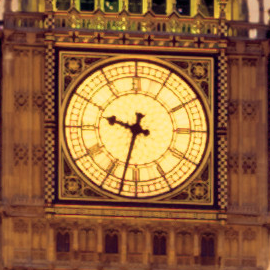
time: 9:32
